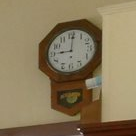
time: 9:00
